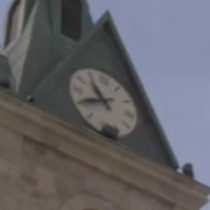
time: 10:40
